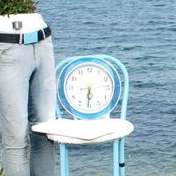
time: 5:30
